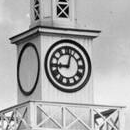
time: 9:02
